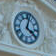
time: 4:02
